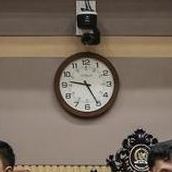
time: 9:25
